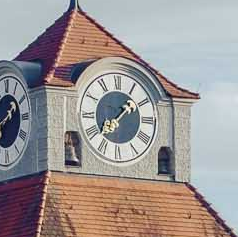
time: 1:37
